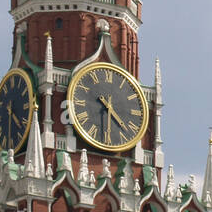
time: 4:31
